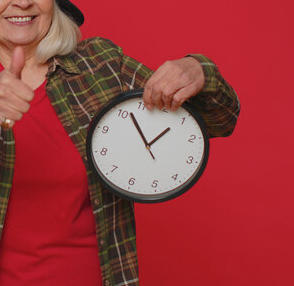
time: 1:56
